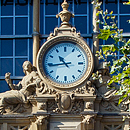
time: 10:44
